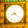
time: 8:21
